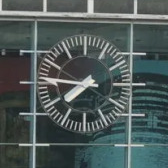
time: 7:46
